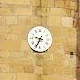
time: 9:34
